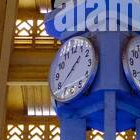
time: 1:38
